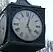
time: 5:02
